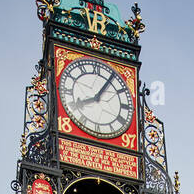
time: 8:05
